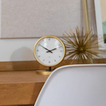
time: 1:50
